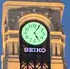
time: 5:05
